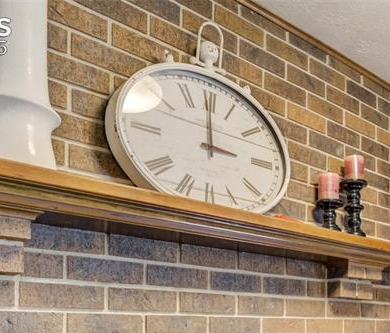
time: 3:00
